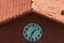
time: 1:33
